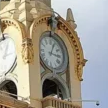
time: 3:04
